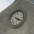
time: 4:20
